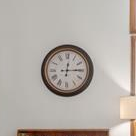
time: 12:14
